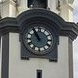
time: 10:55
